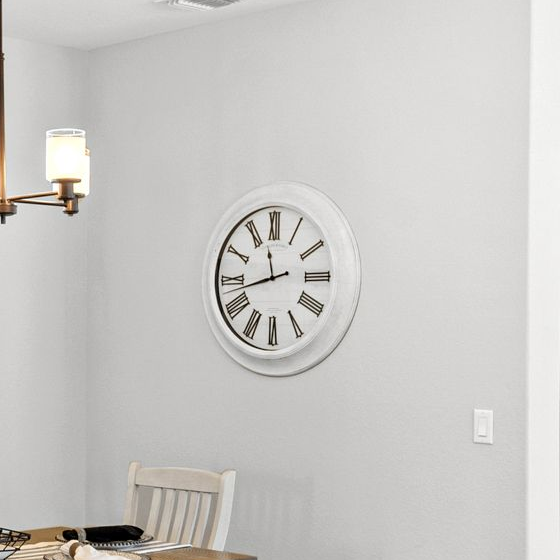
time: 11:42
